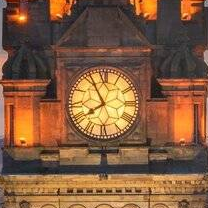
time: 7:55
